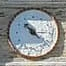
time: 10:22
